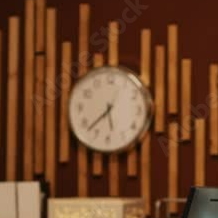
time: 5:37
